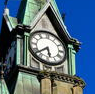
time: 5:38
